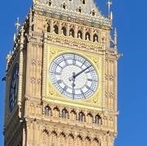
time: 6:07
